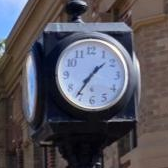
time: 1:36
